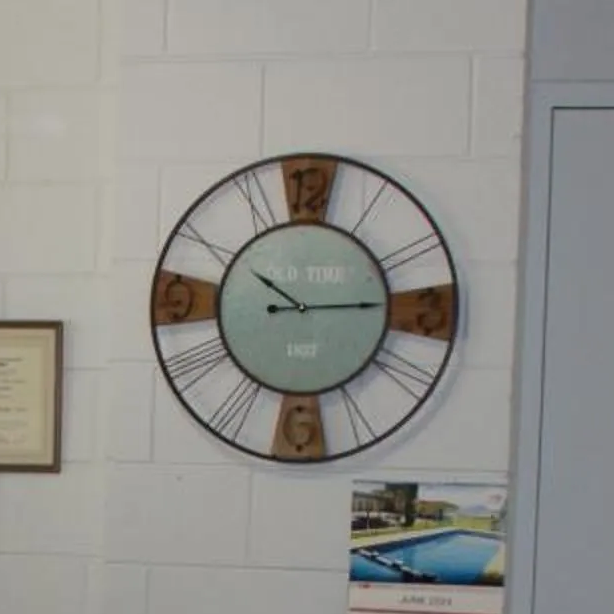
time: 10:14
